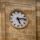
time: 5:13
